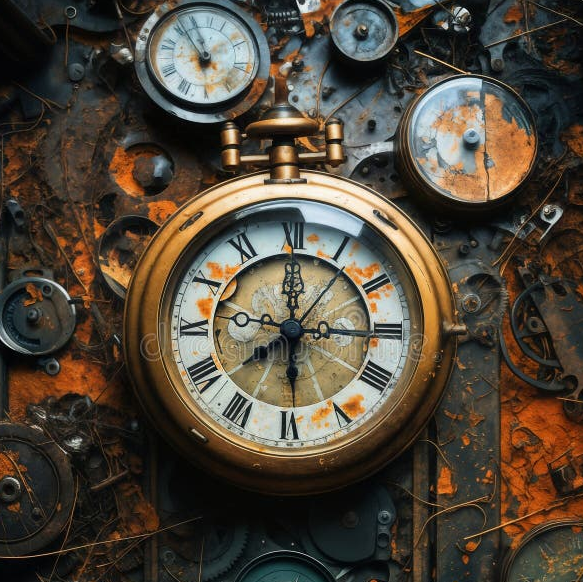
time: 7:59
